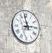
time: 2:58
